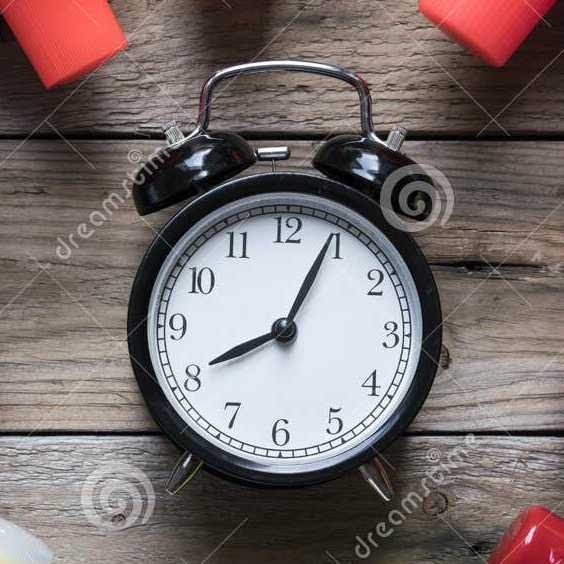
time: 8:04
